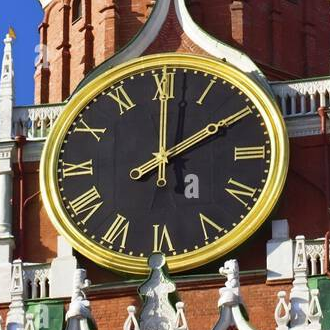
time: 2:00
